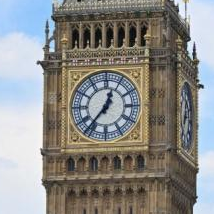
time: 12:36
